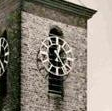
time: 12:24
